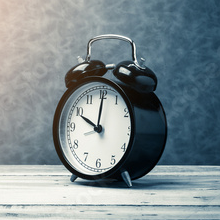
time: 10:00
